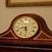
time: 5:42
